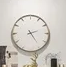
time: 2:24
